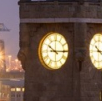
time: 10:14
